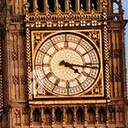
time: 4:16
